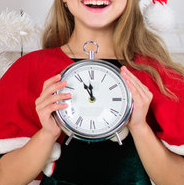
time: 11:55
